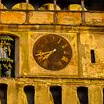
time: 7:42
